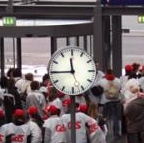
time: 11:45
